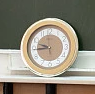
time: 9:44
